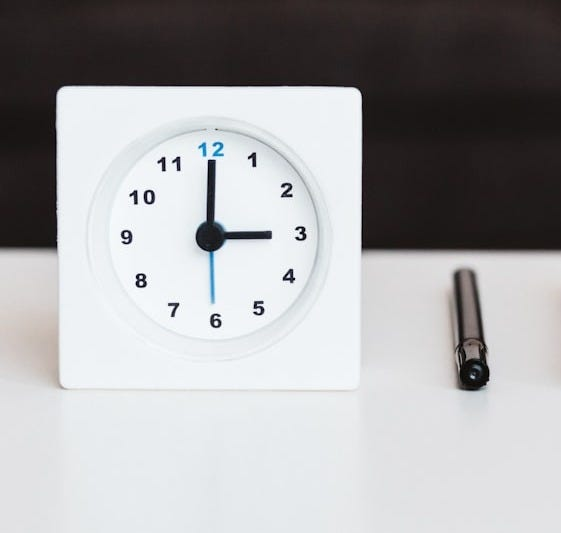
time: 3:00
